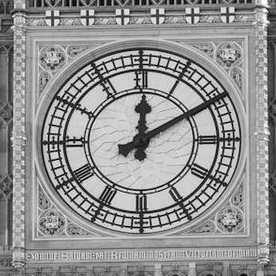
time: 12:09
